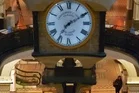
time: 7:09
